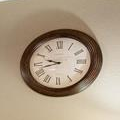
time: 9:42
